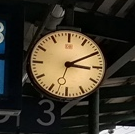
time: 3:09
